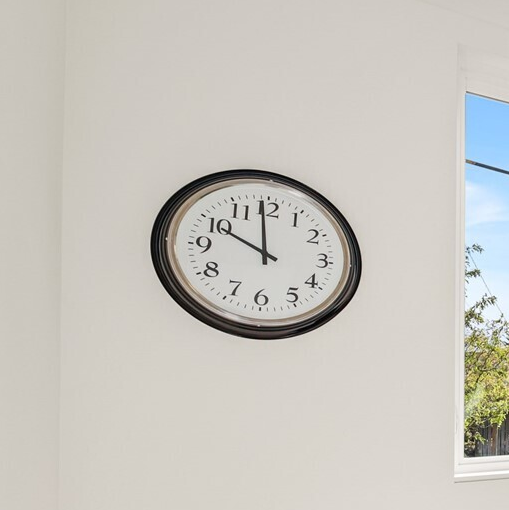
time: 9:59
